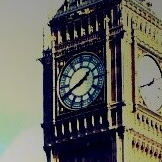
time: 1:41
